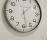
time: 1:28
